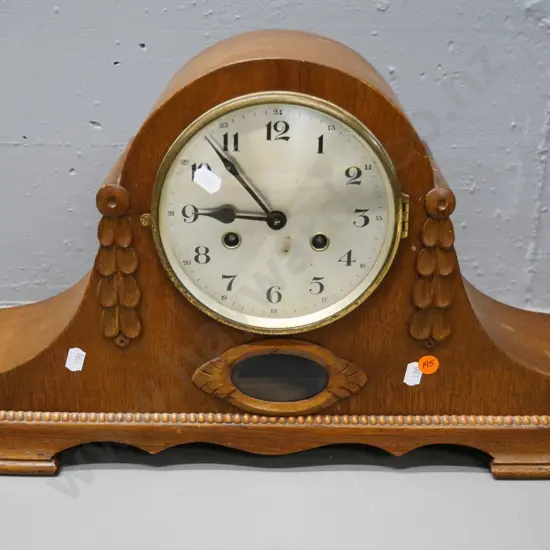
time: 8:53
